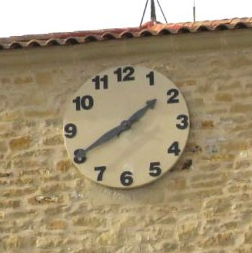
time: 1:40
